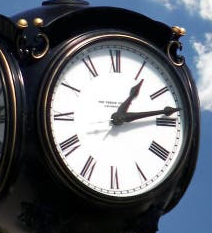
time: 1:13
